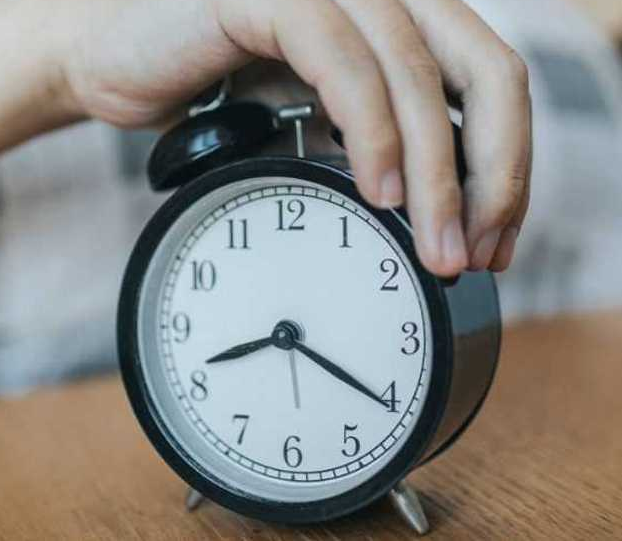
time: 8:20
